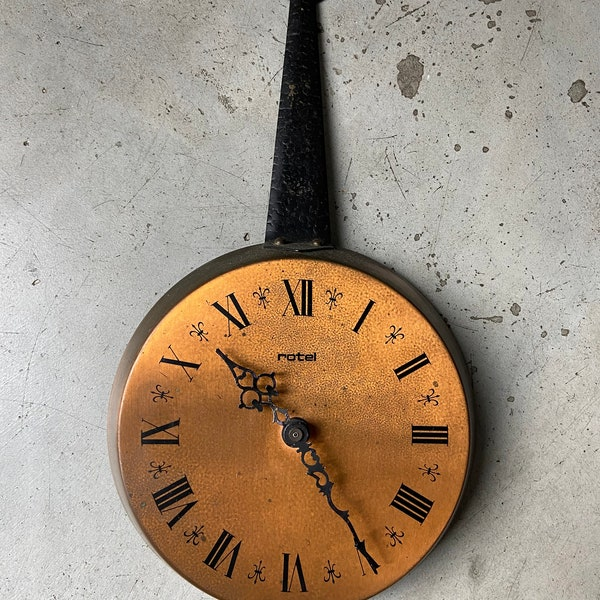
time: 10:24
